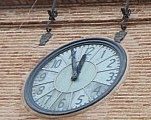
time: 11:56
